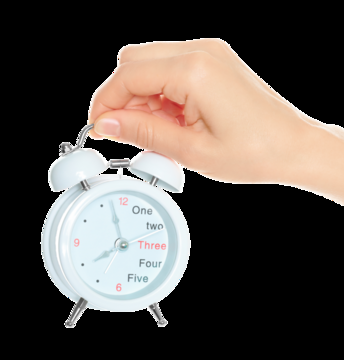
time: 7:57
